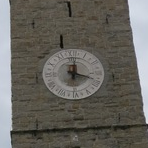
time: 12:18
